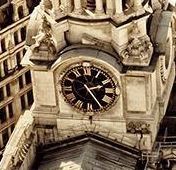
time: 2:24
